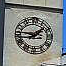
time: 1:46
